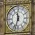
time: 11:32
